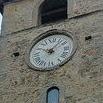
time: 10:07
